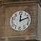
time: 12:11
